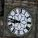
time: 8:46
